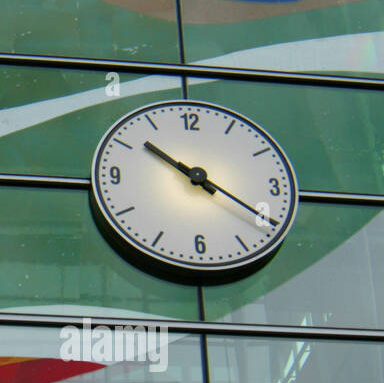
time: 10:20
